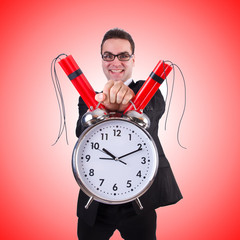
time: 10:11
